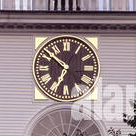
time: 6:51
